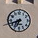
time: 6:41
